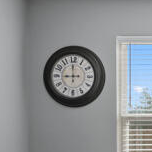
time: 8:59
